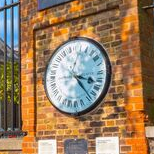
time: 3:22
